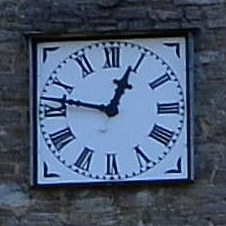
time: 12:46
